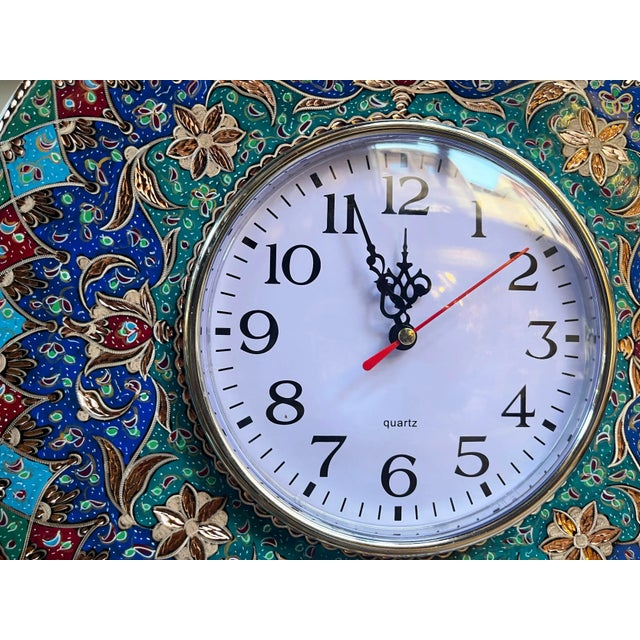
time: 11:56
